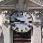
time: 9:44
